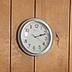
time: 2:11
